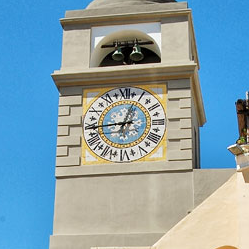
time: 12:44
